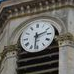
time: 2:31
